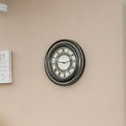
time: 2:46
